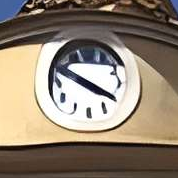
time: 3:49
